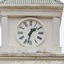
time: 1:32
